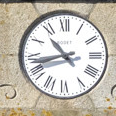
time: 10:42
